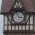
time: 2:56
